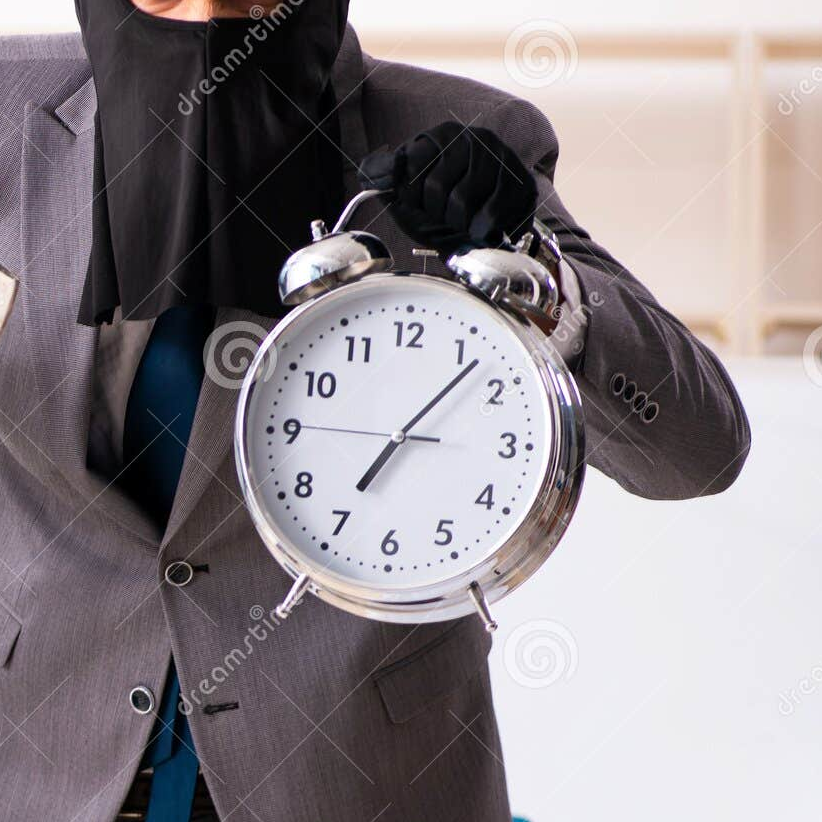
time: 7:07
